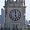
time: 5:00
